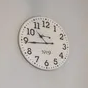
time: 10:44
